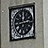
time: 12:14
